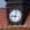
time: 9:01
